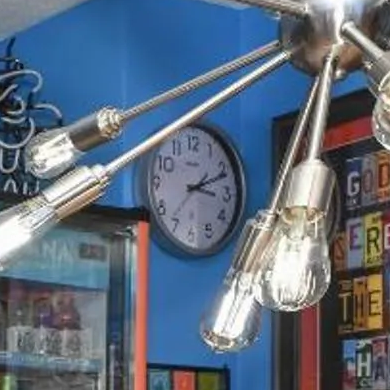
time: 3:11
